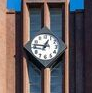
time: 12:46
